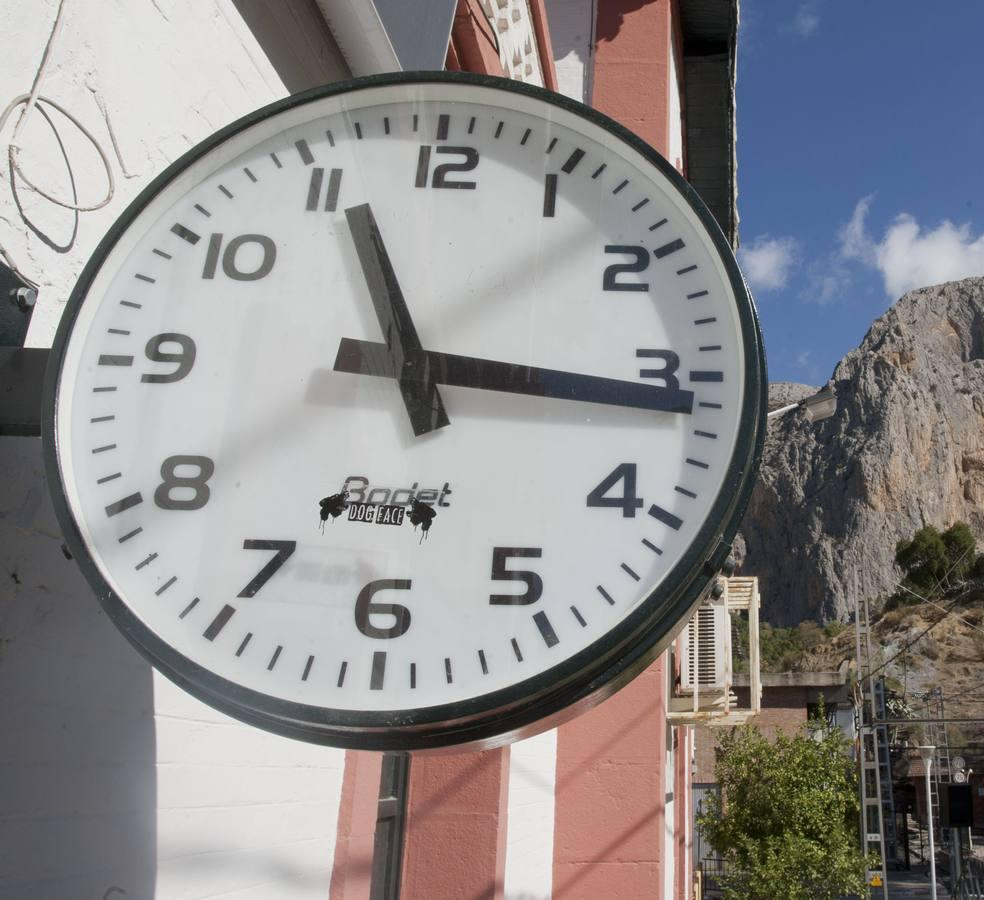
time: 11:16
